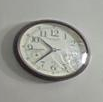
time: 10:37
